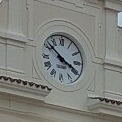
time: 3:51
